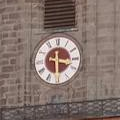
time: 3:29
